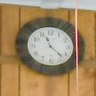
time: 11:22
